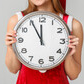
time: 11:55
